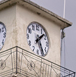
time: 1:26
